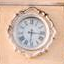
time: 6:16
